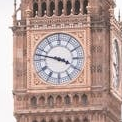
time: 3:47
